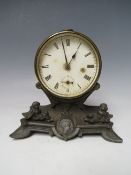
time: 12:57
